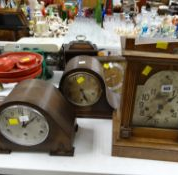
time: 5:26
